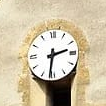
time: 2:31
